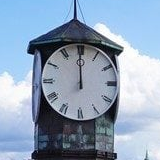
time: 11:59
